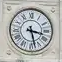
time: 3:27
